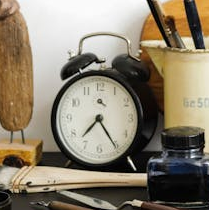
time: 7:25
